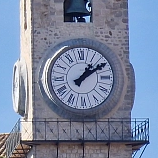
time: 1:09
